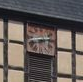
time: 8:12
